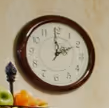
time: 1:59
